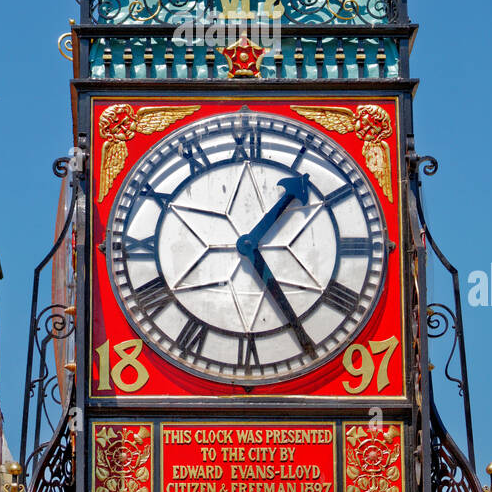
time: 1:24
